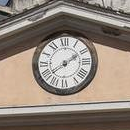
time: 2:09
